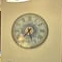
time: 7:27
